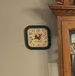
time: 10:42
